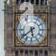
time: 5:38
